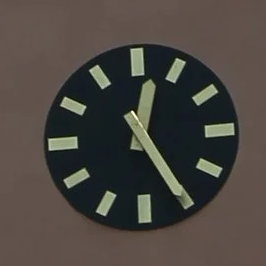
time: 12:25
